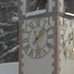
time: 1:28
